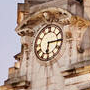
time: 6:15
